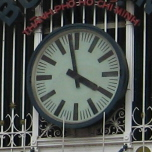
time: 3:58
